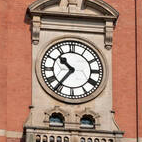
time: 10:36
